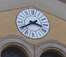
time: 3:40
